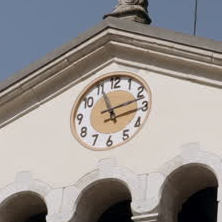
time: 11:12
